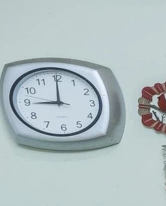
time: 9:00
